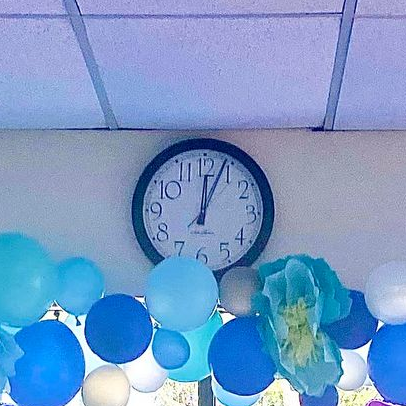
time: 12:03
